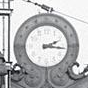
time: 2:16
